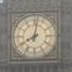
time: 8:01
